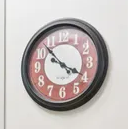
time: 3:52
